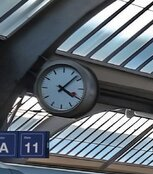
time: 4:07
